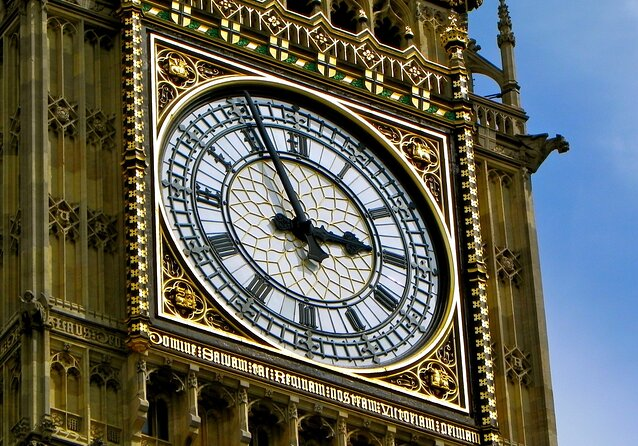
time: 2:56
